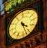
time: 4:26
